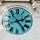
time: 2:23
